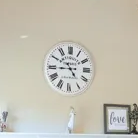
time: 4:44
